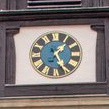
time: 1:25
